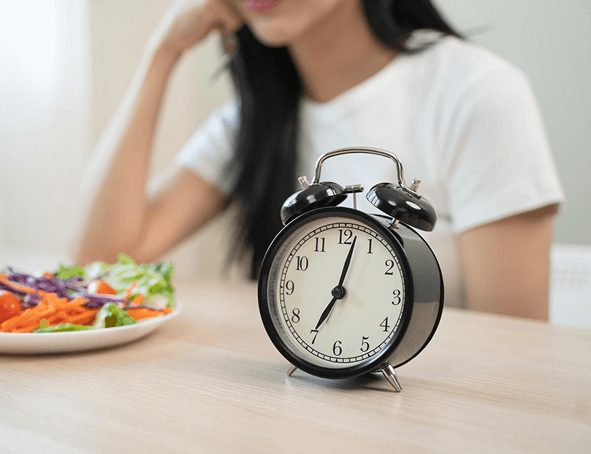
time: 7:02
